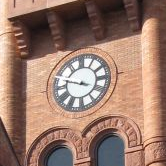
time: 3:47
